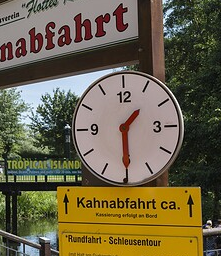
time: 1:29
